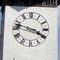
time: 3:47
